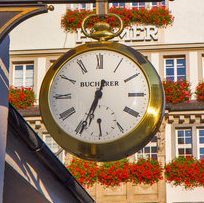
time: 12:33
